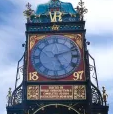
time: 5:11
